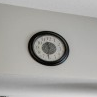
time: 11:31
